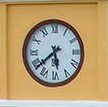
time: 5:38
